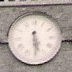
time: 5:29
